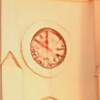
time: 11:50
